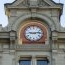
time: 9:13
